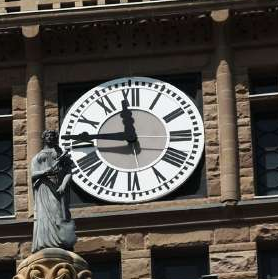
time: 11:45
